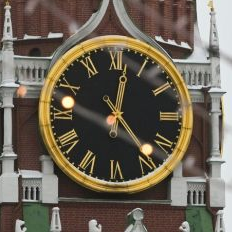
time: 12:23
